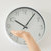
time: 10:06
